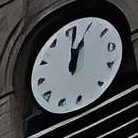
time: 1:01
